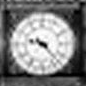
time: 9:22
